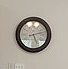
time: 5:12
